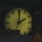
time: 2:01
